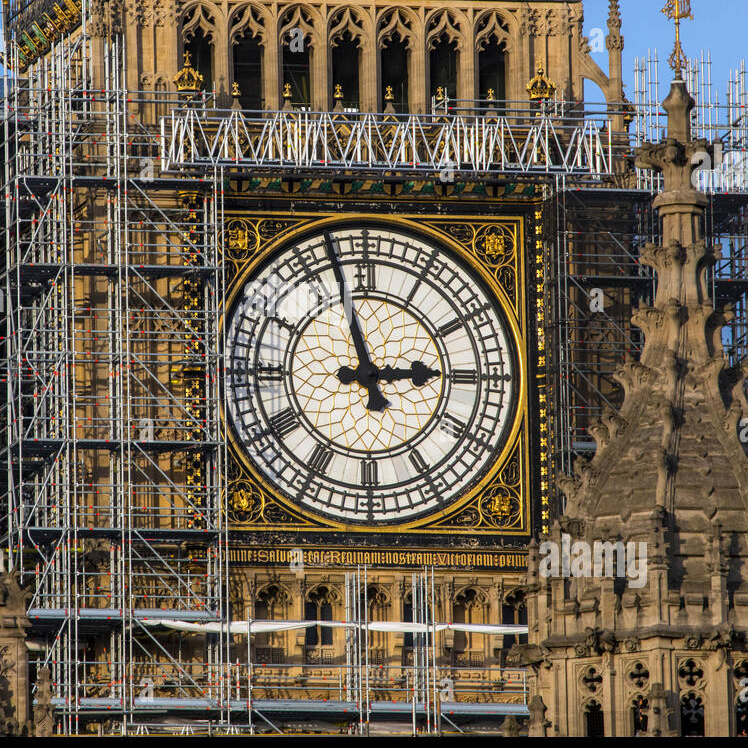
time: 2:57
